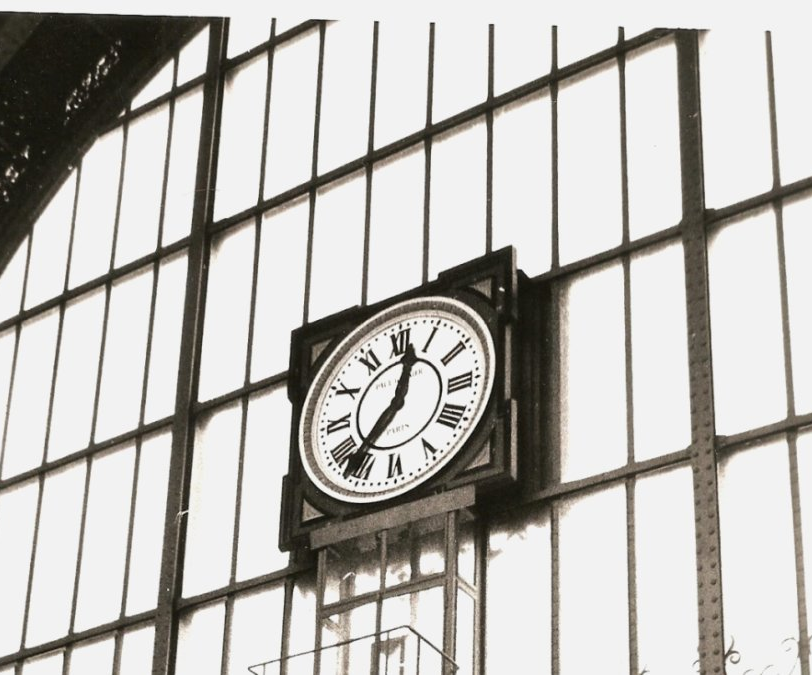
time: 12:37
